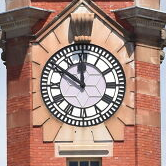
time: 11:50
